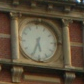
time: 5:33
